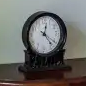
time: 12:23
